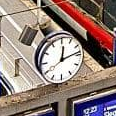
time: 12:13
